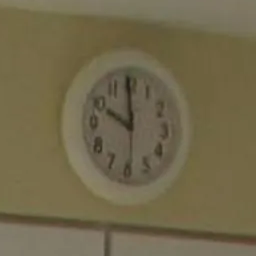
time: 9:59
